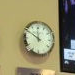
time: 11:50
